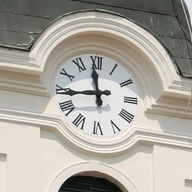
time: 11:43
